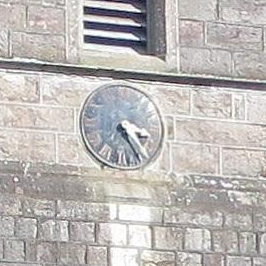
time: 3:24
